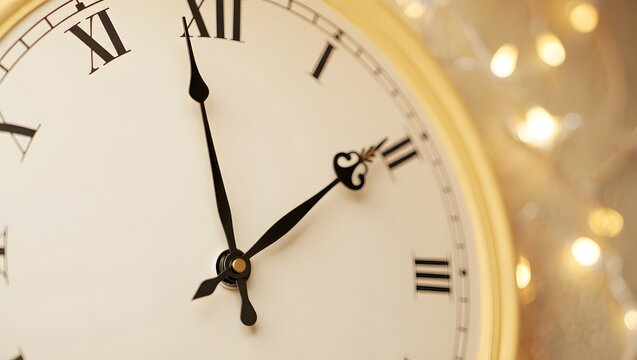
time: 1:58
